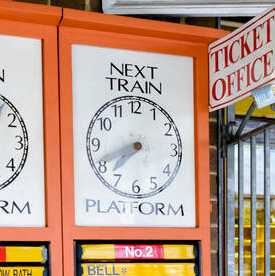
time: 7:41
